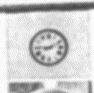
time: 9:11
